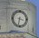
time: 3:32
